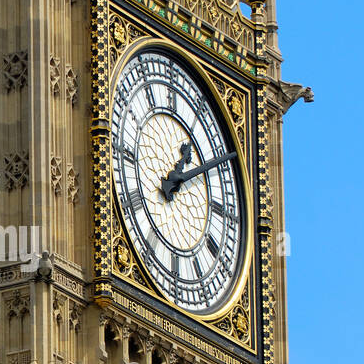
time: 1:09
